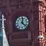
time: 12:22
